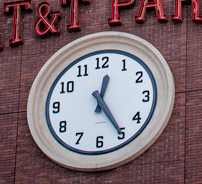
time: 12:24
